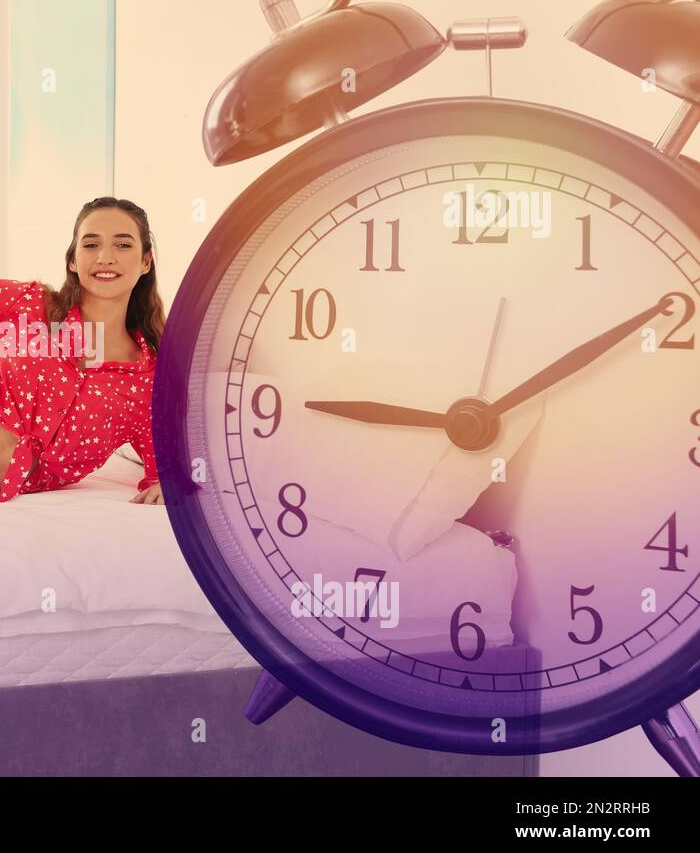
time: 9:09
